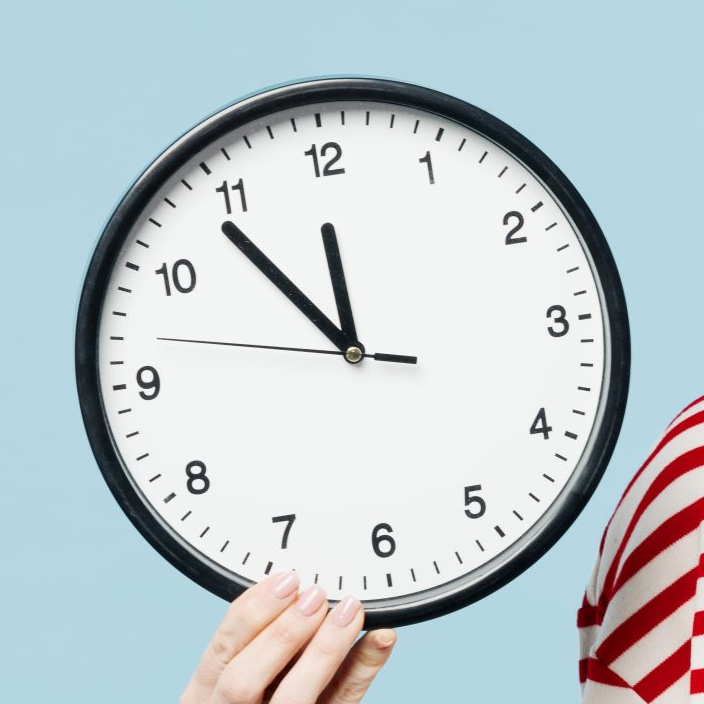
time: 11:53
